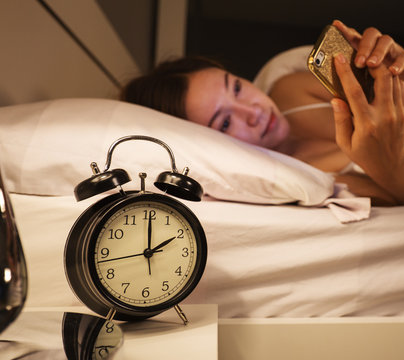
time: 2:00
